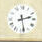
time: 2:28
